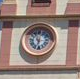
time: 11:32
